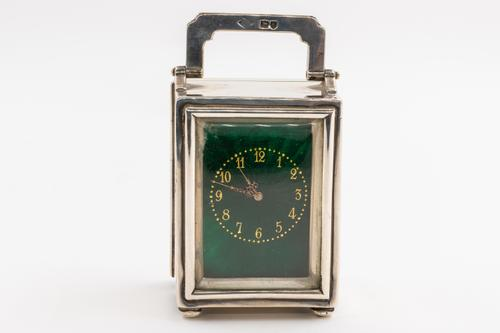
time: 10:47
